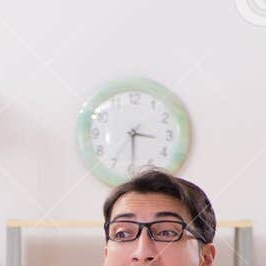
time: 3:29
